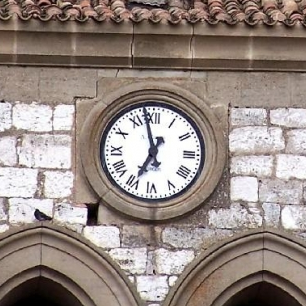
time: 6:58
